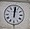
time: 12:01
